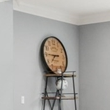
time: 7:45
